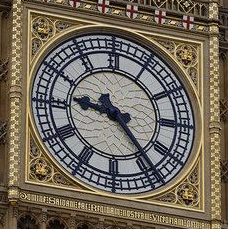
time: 9:23
